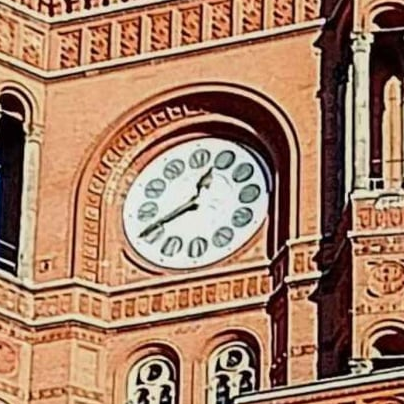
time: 12:40
